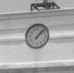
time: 1:07
